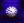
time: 9:50
